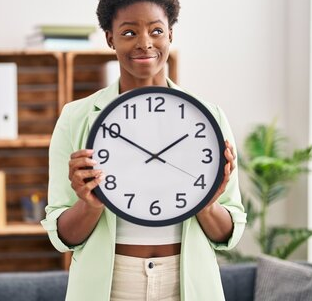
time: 1:50
